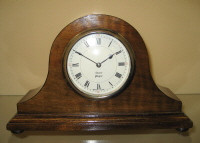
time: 1:50
